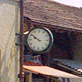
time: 9:50
